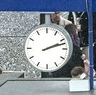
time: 2:12
